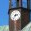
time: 2:36
